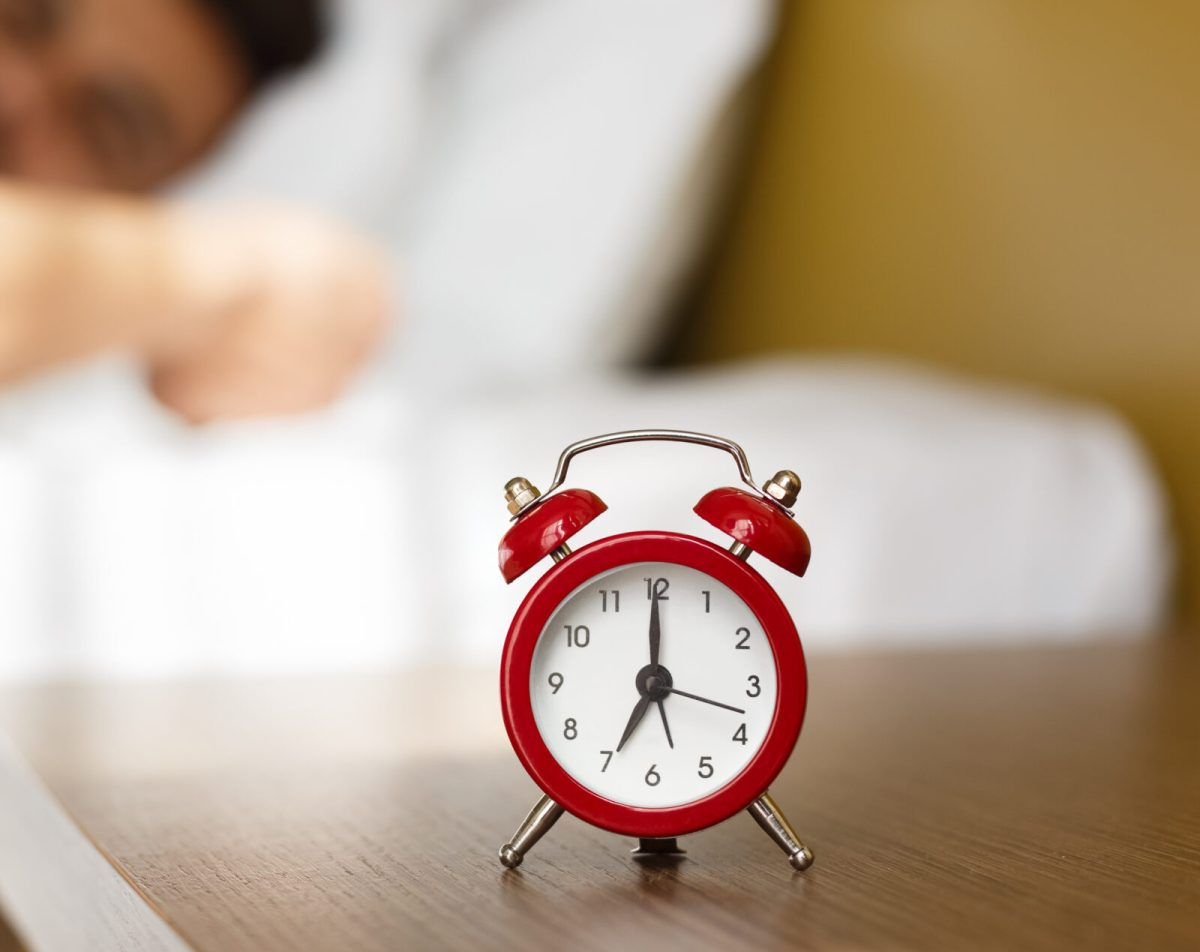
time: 7:00
